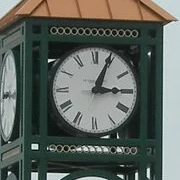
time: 3:04
